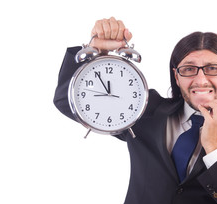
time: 11:54
